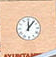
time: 12:06
